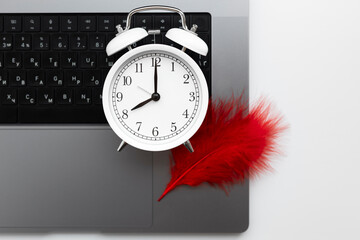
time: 8:00
